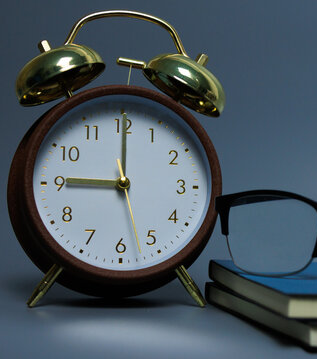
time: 9:00
